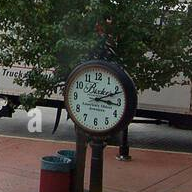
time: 3:11
